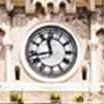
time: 11:42
